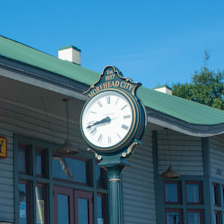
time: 8:43
